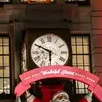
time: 5:49
